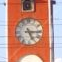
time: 5:15
